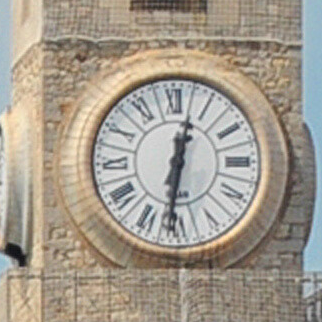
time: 12:31
